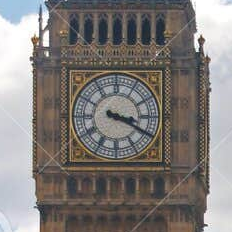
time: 3:19
